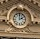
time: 2:00
